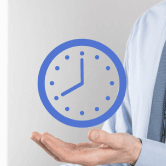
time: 7:59
